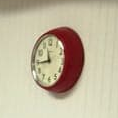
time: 11:43
